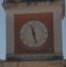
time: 11:27
